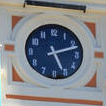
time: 5:11
